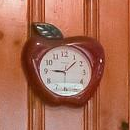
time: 9:07
